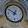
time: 12:51
